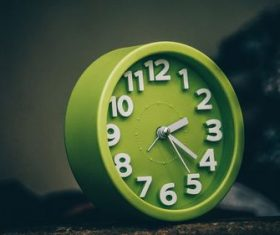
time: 2:20
